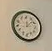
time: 12:07
